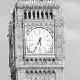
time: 5:34
